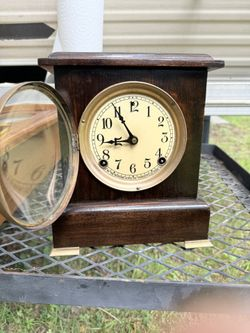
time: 8:55
